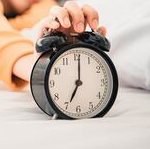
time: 7:00
